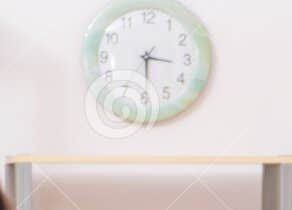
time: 3:29
